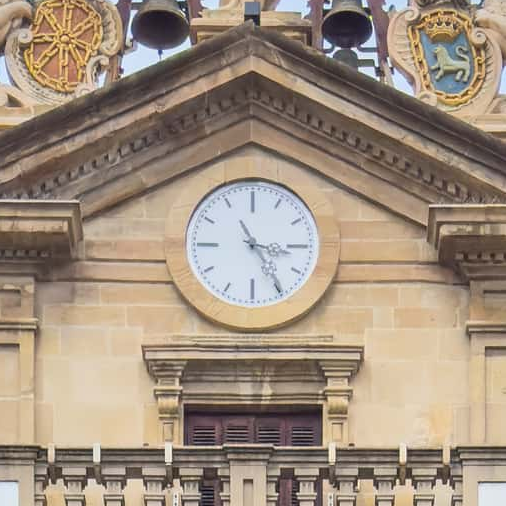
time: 3:24
